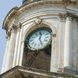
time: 12:26
